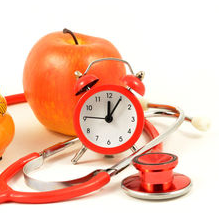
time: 12:05
